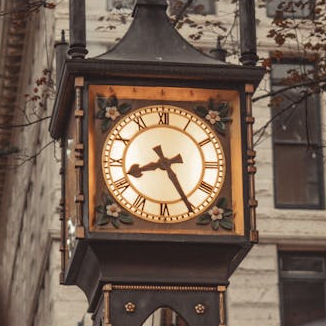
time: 8:25
